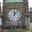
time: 12:06
